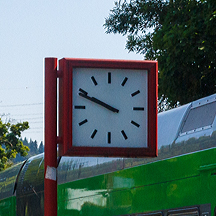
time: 9:48
